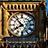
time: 7:52
